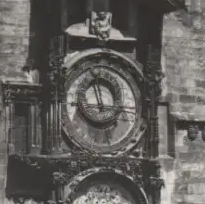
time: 11:58
